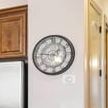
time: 1:46
